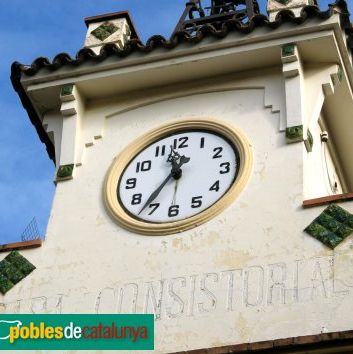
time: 11:36
